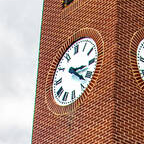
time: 3:22
